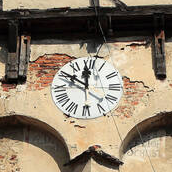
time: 11:50
